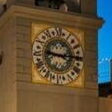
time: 9:15
